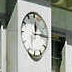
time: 12:14
